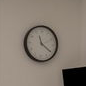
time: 11:20
